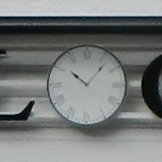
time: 10:06
